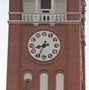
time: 8:34
